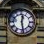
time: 12:28
